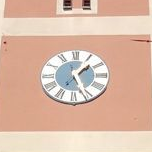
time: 1:26
